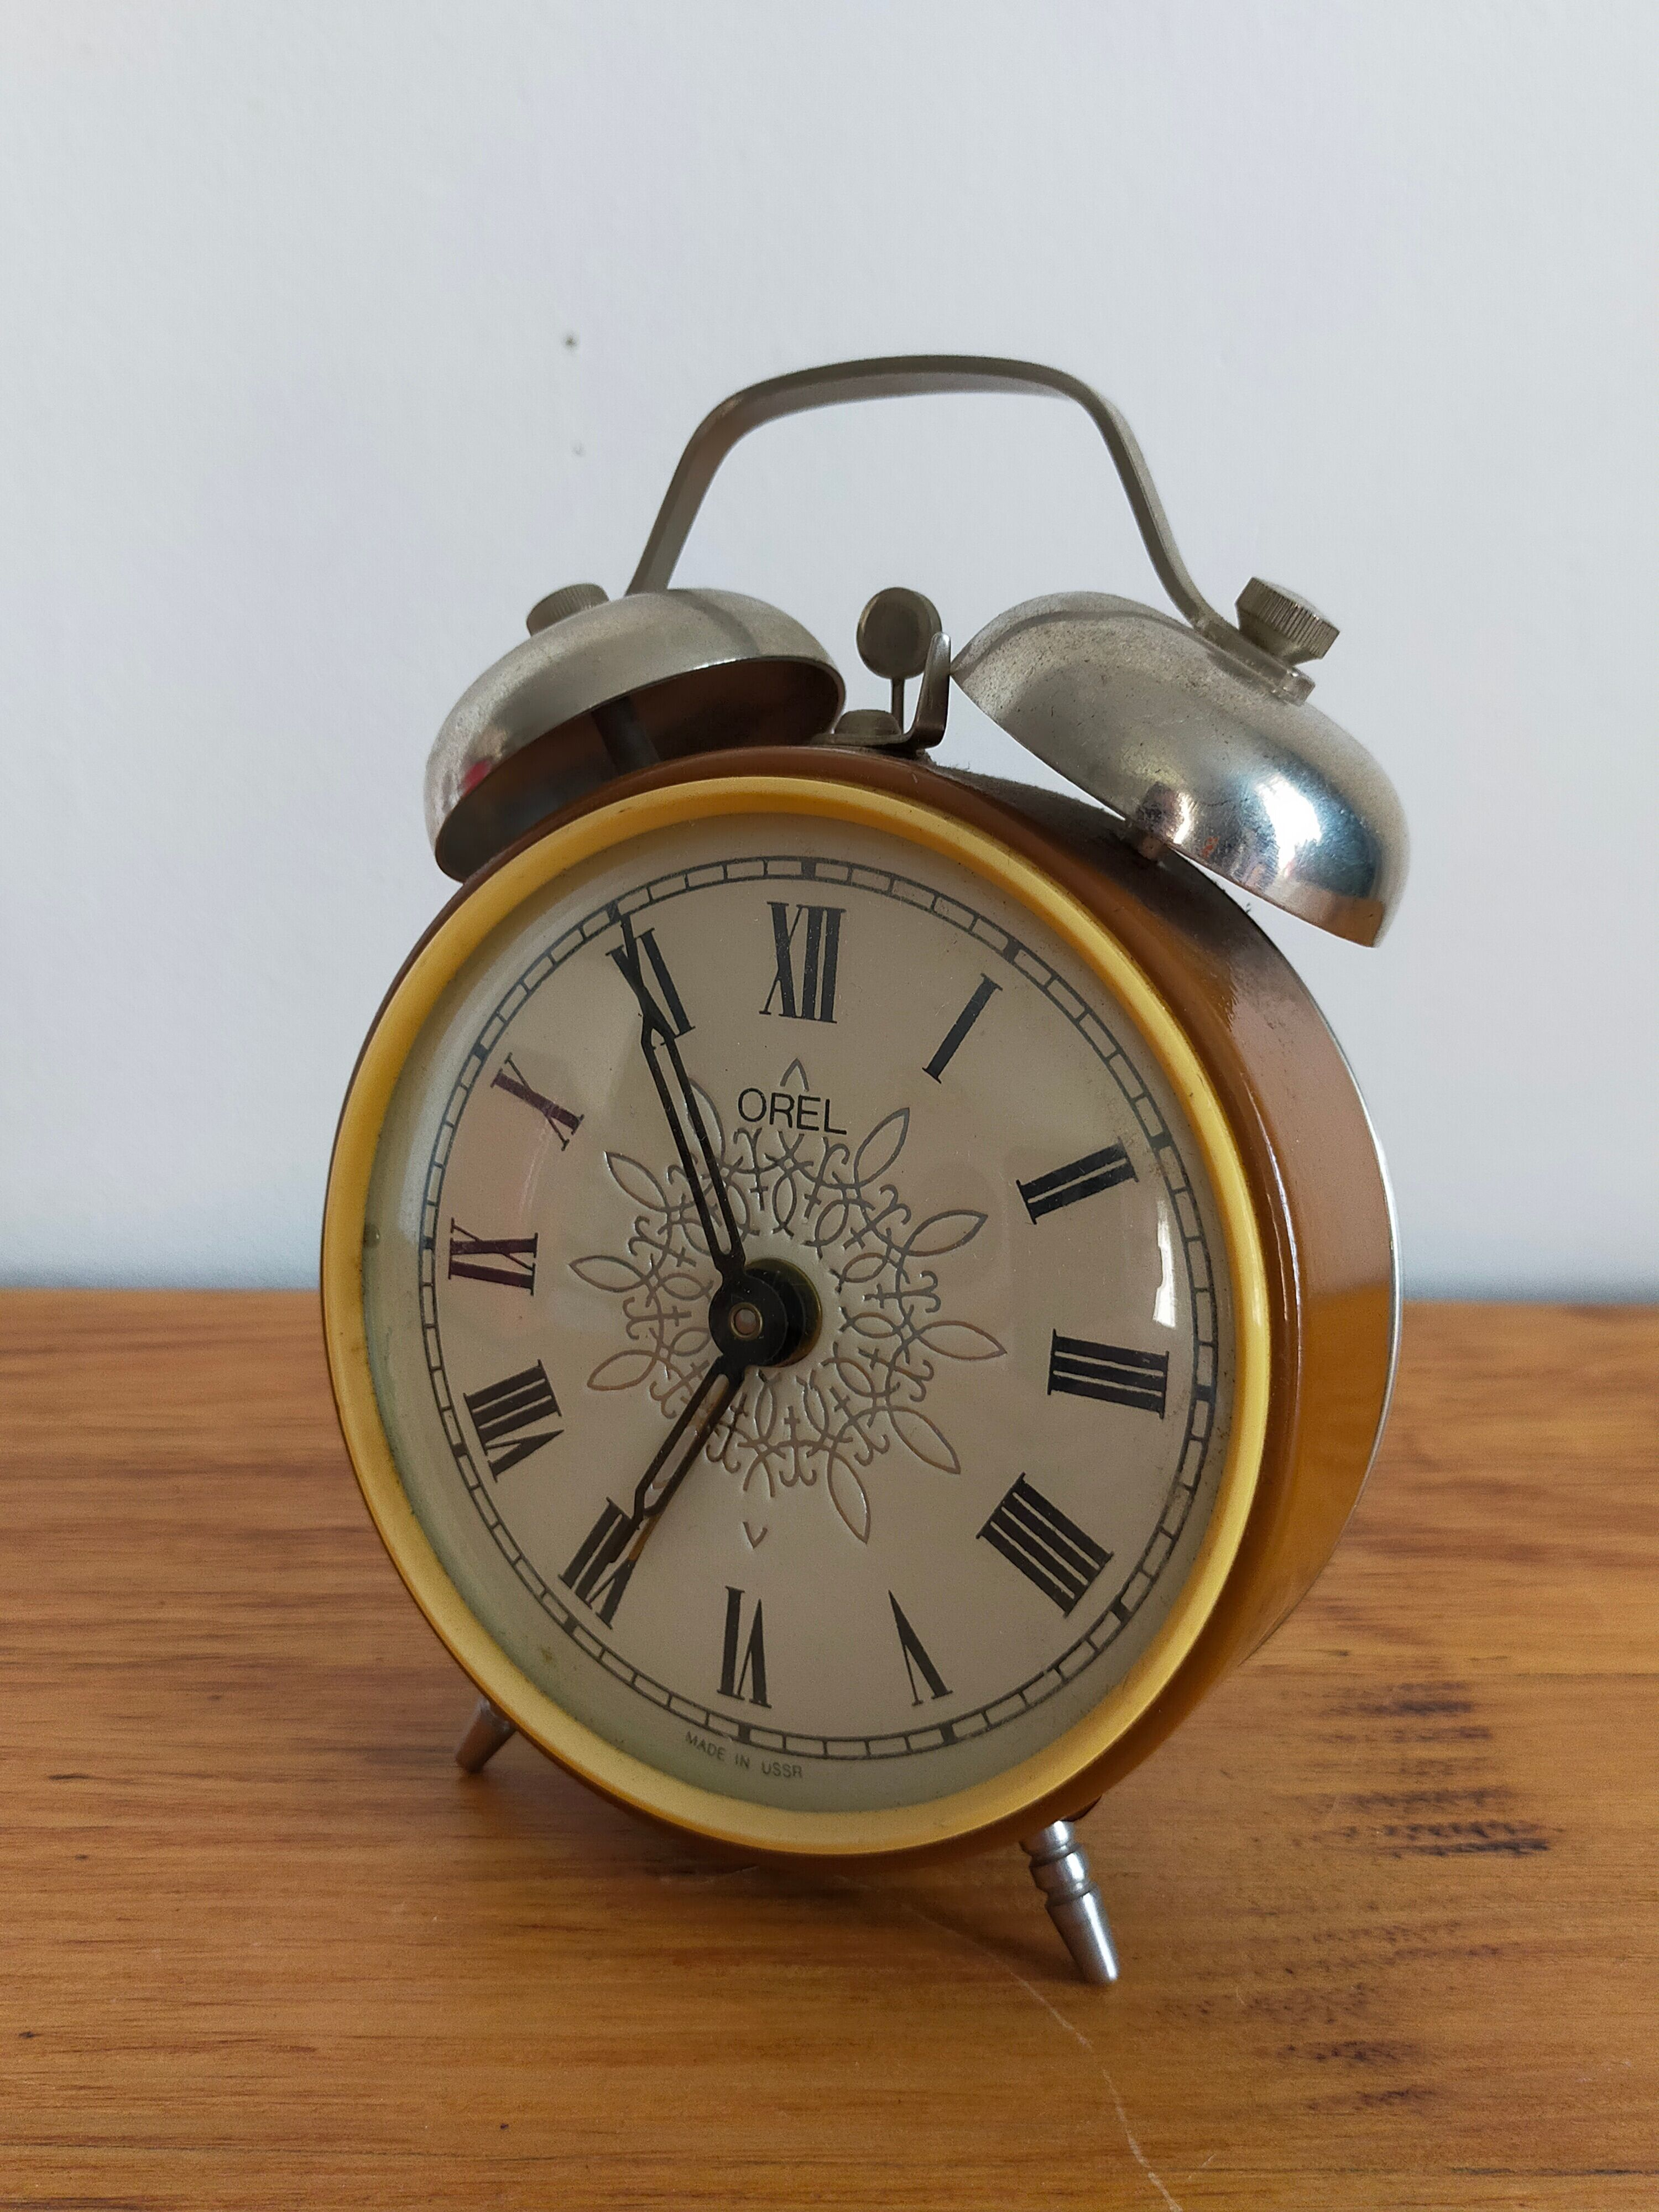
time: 6:55
